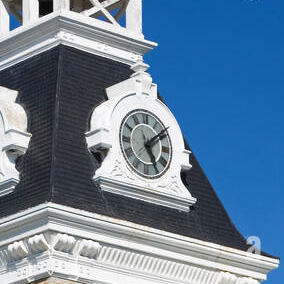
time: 5:09
